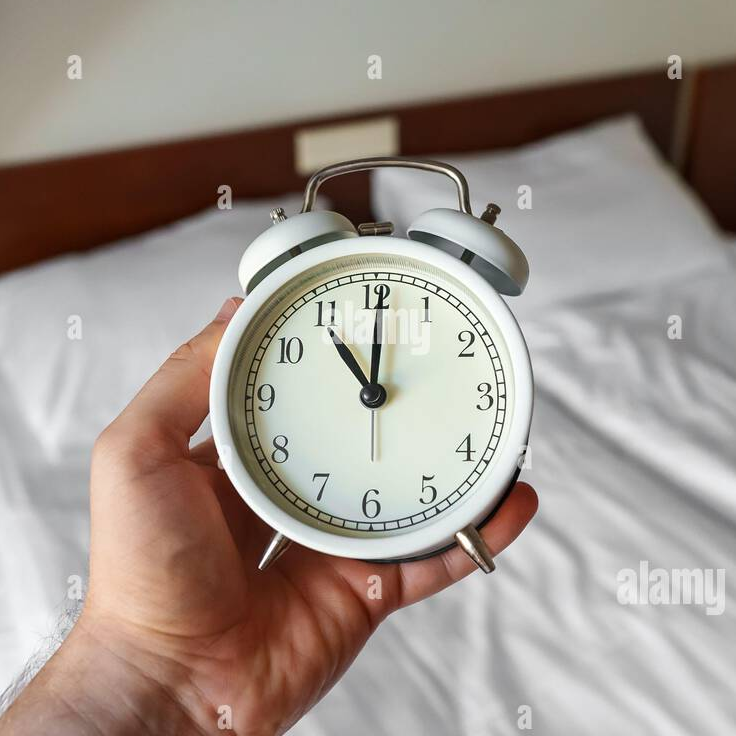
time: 11:00
